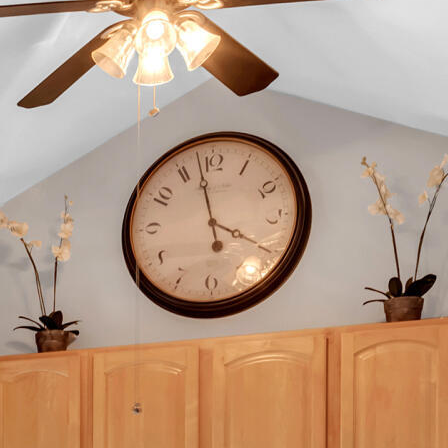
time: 3:57
